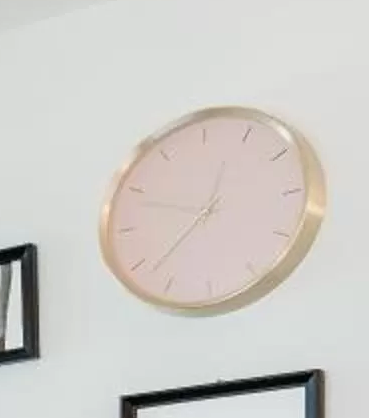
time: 12:38
